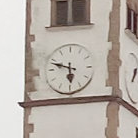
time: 5:48
